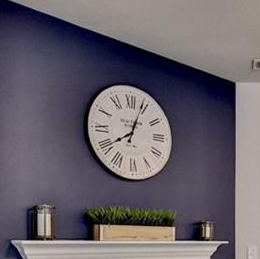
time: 8:03
